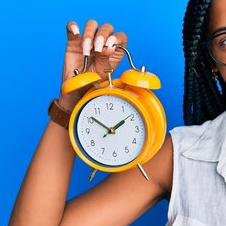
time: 1:51
